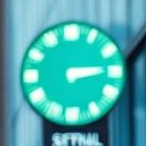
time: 3:14
